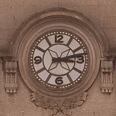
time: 3:12
